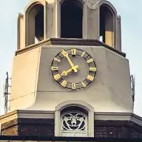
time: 7:55
